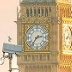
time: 2:36
